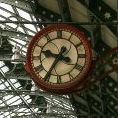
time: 9:35
